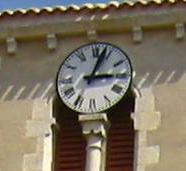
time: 3:02
